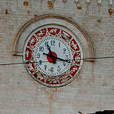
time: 11:17
